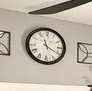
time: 11:19
